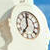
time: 6:58
